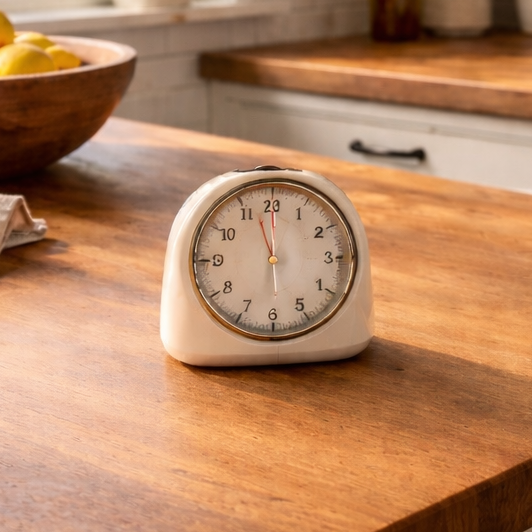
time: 11:56
